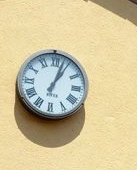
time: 1:03
